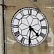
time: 4:31
